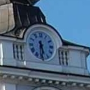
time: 5:31
